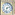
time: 2:32
